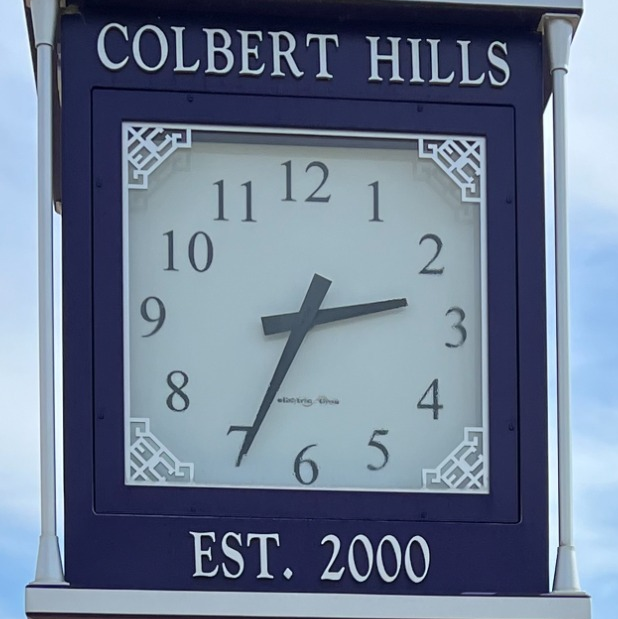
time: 2:34
